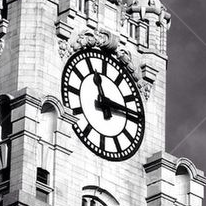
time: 11:13
